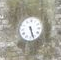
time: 5:26
